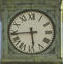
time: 5:43
